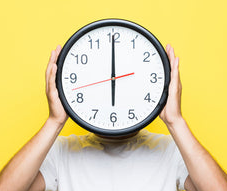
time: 5:59
